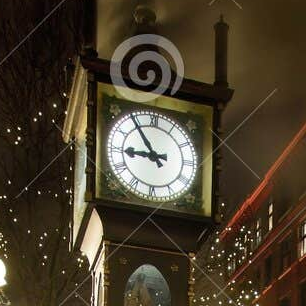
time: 8:54
